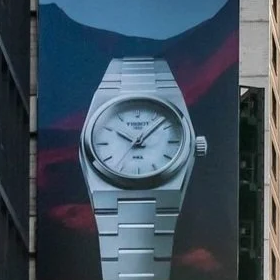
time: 10:07
